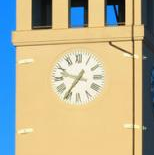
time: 9:35
